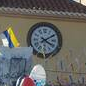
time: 4:09
